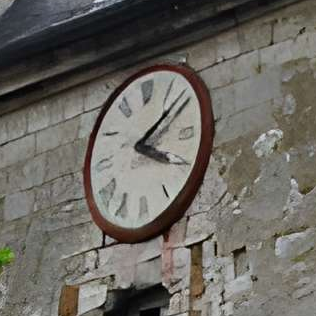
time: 4:09
